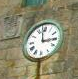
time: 2:58
